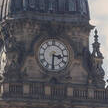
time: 3:30
